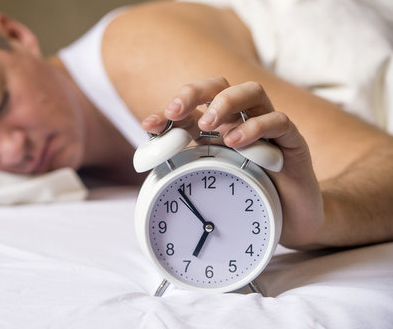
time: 6:53
